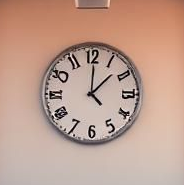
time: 12:07
